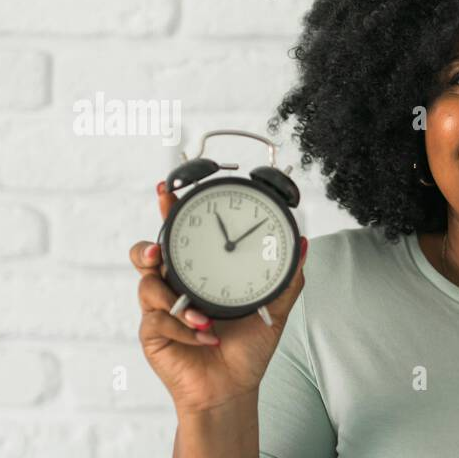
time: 11:08
